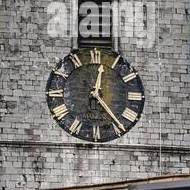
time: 12:23
